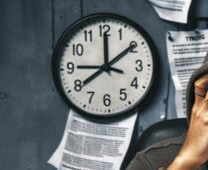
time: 12:09
